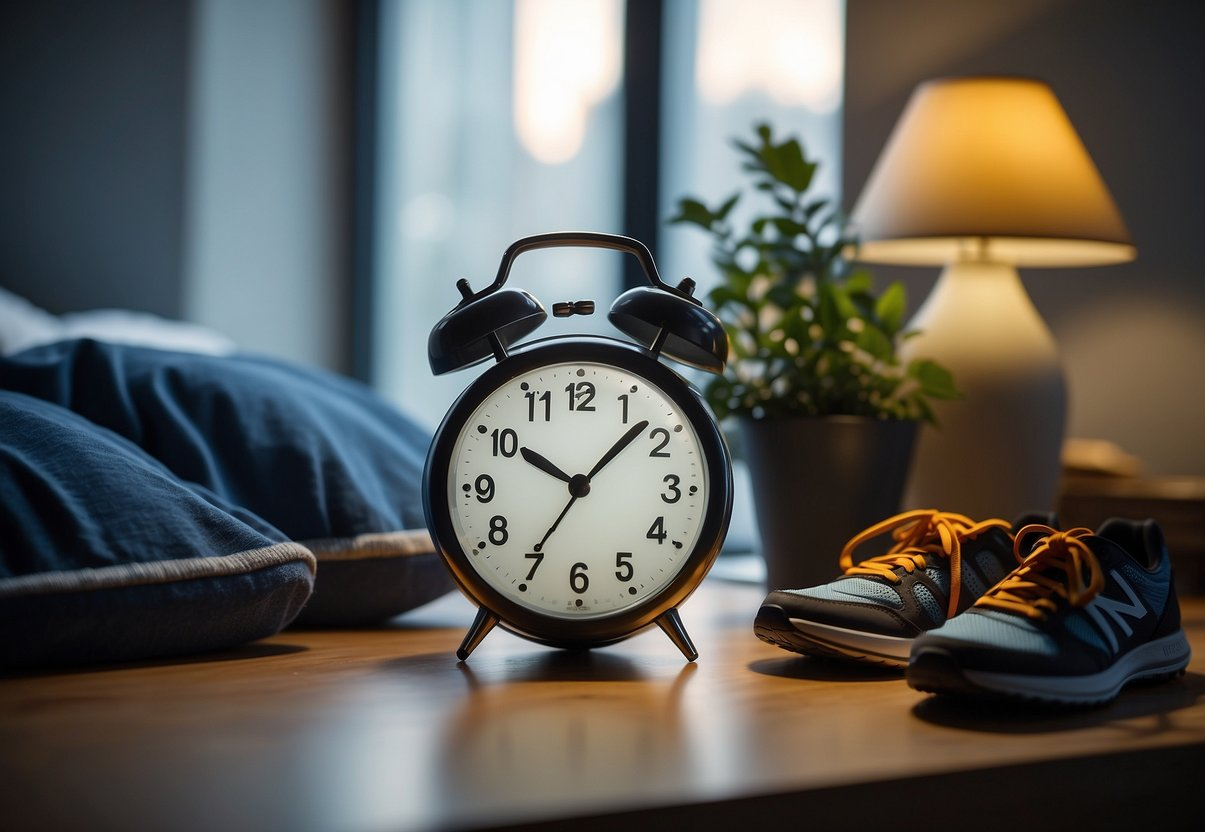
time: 10:07
